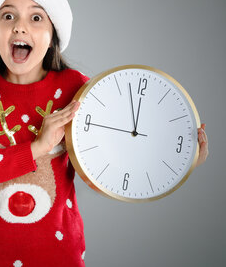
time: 11:57
